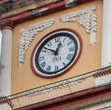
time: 12:51
